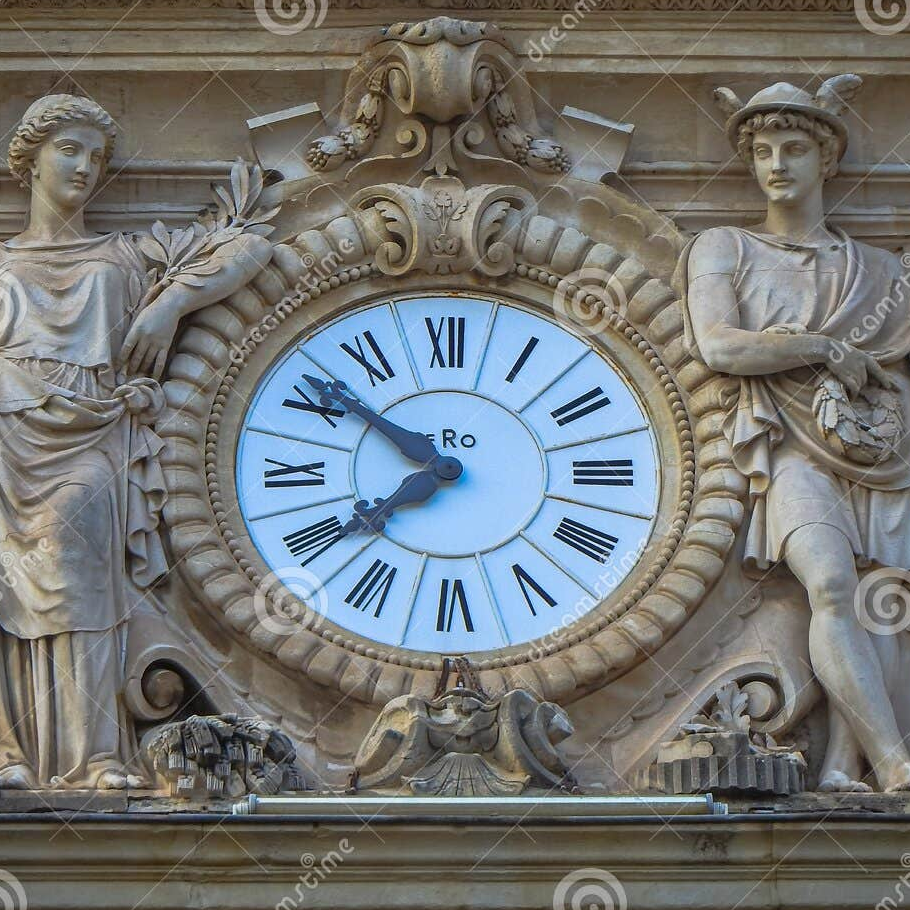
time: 7:51
